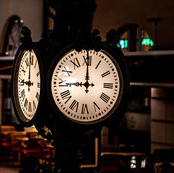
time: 8:59
